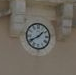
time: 1:40
